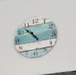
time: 10:52
